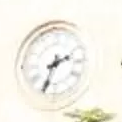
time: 2:34
